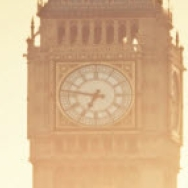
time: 6:47
